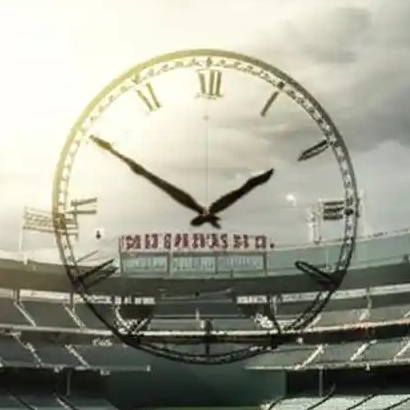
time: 1:50
